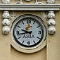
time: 9:43
